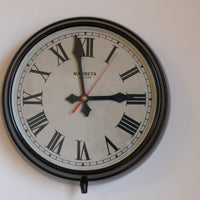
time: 2:58
